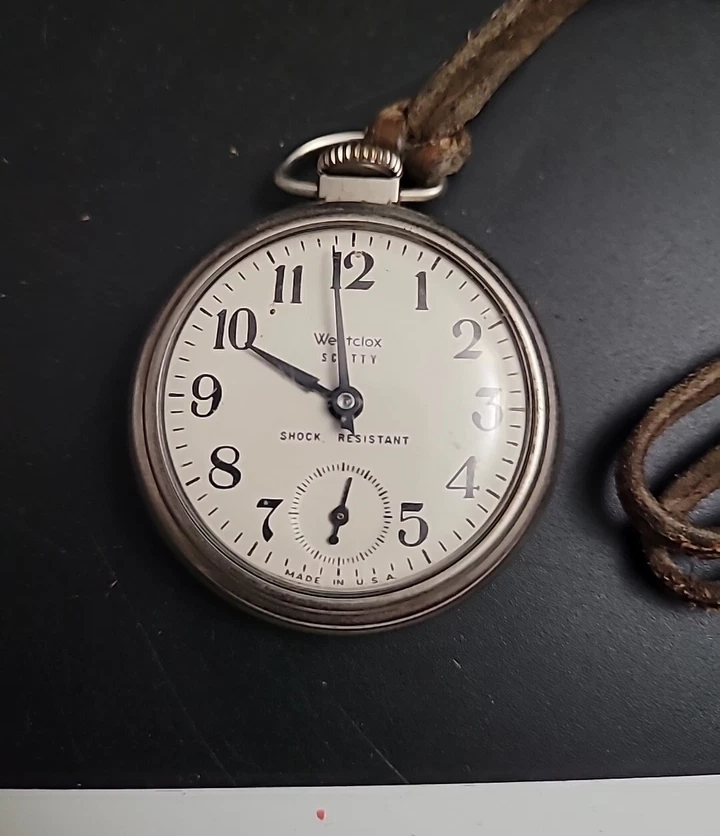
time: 9:58
